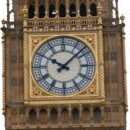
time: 10:07
